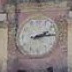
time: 2:14
